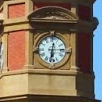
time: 6:14
